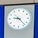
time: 9:22
